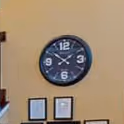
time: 1:51
